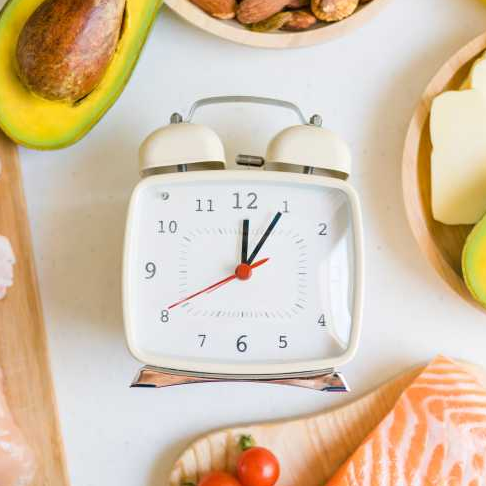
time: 12:05
